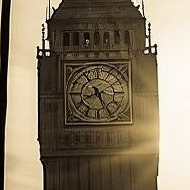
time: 8:26
